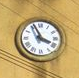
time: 3:56
